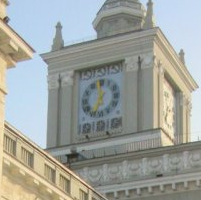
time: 6:58
